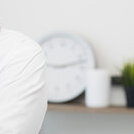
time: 9:12
